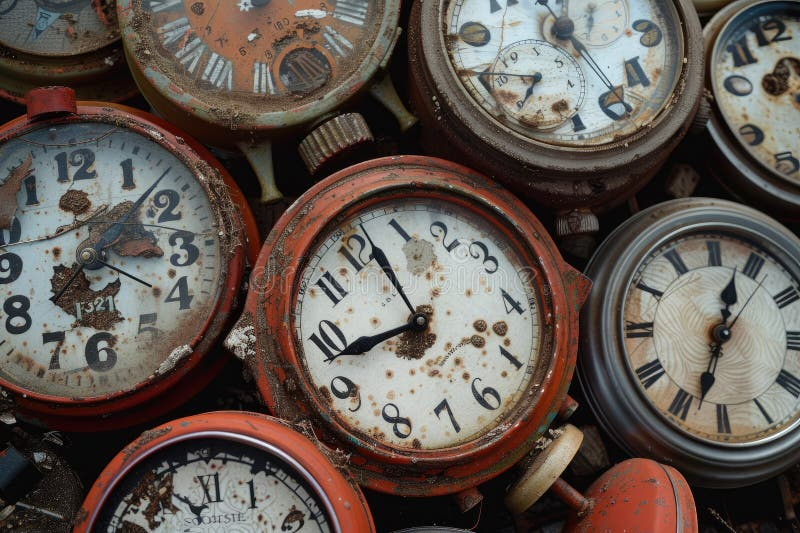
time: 11:42
